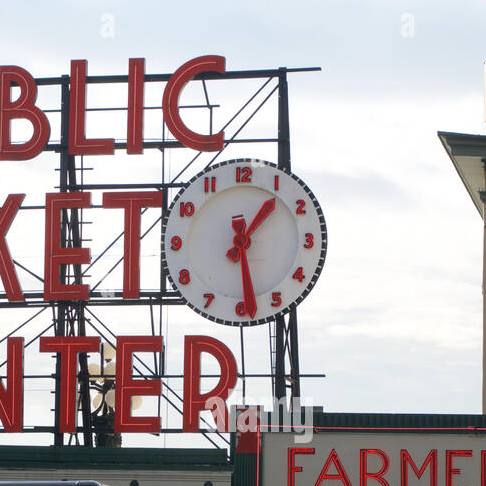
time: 1:28
